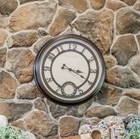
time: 3:19
